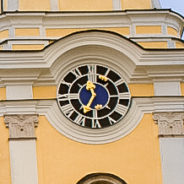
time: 11:34
